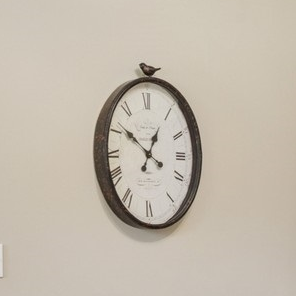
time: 12:51
